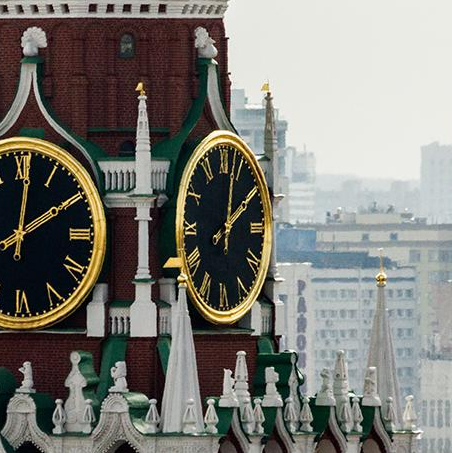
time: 2:02
